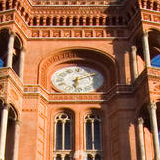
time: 6:10
